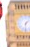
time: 1:31
